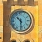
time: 10:29
